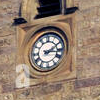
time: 2:16
